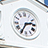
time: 2:35
